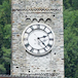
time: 2:23
